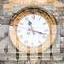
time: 11:17
